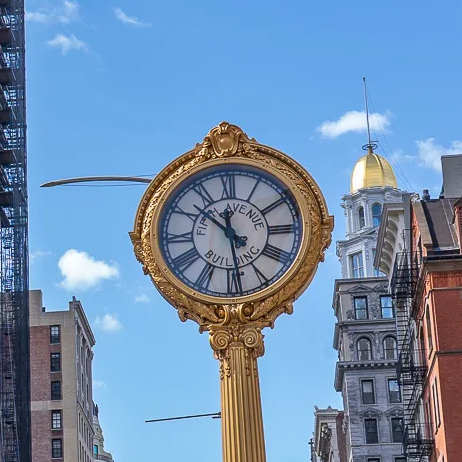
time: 10:28
